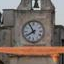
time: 7:54
